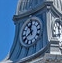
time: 11:40
